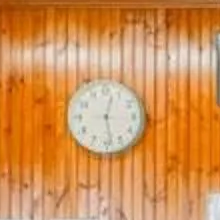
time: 12:28
